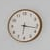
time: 6:17
